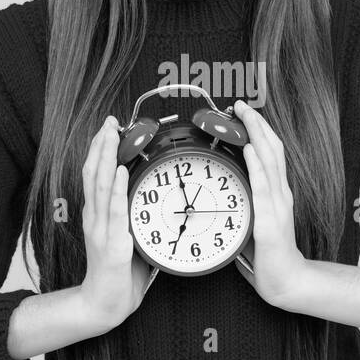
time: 6:59
